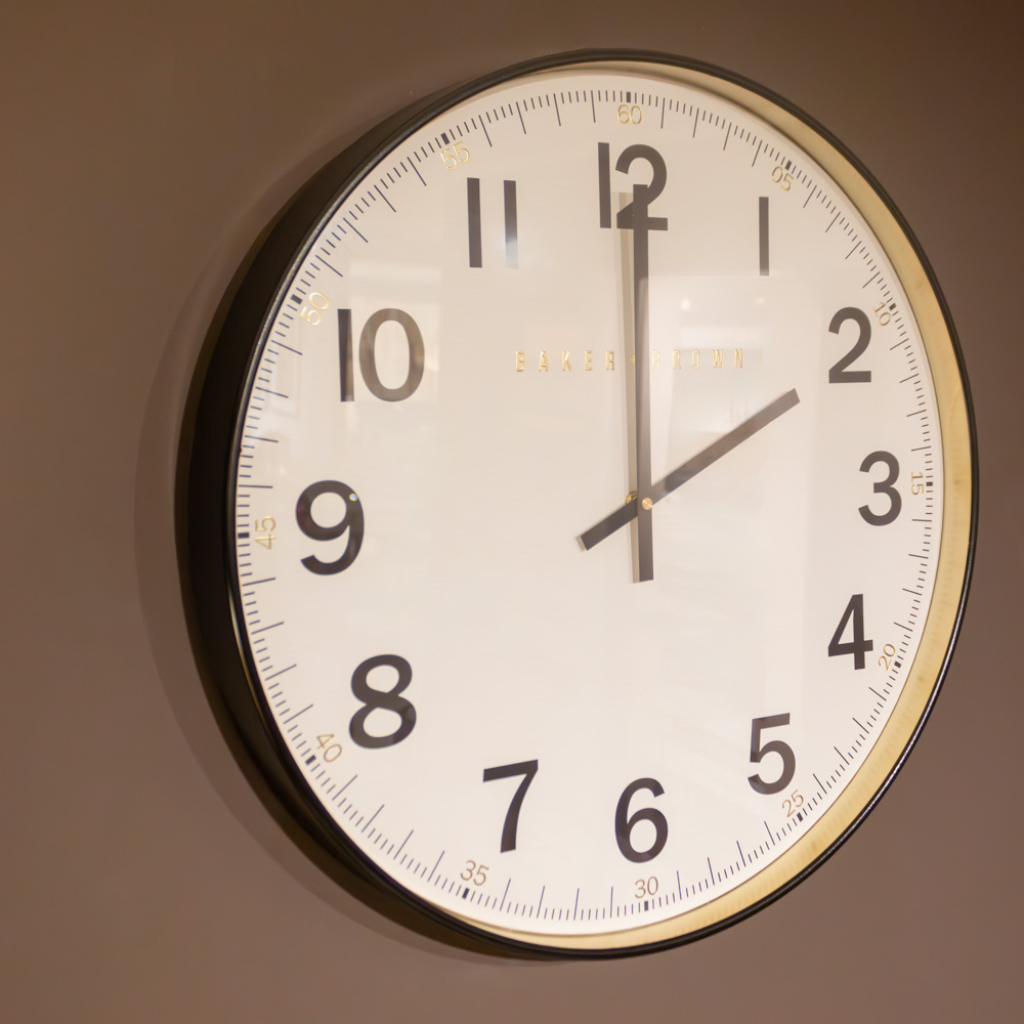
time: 2:00
